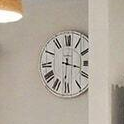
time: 3:31
